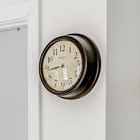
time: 5:43
